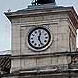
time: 12:26
